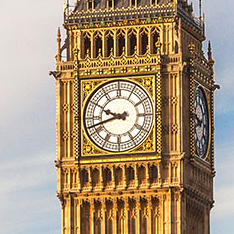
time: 9:42
